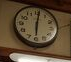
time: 6:01
